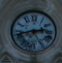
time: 2:42
